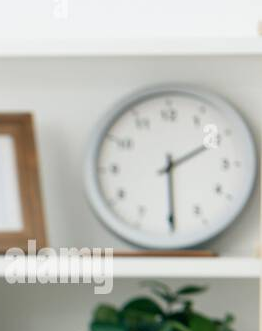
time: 2:29
